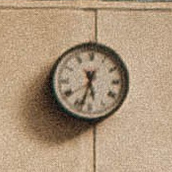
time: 5:33
